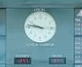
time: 9:47
